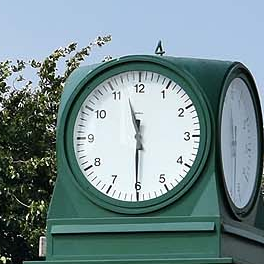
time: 11:30
